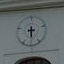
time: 8:29
